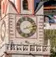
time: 8:12
